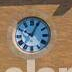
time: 10:04
